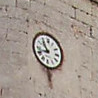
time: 10:42
